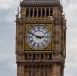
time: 2:49
